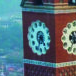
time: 4:34
